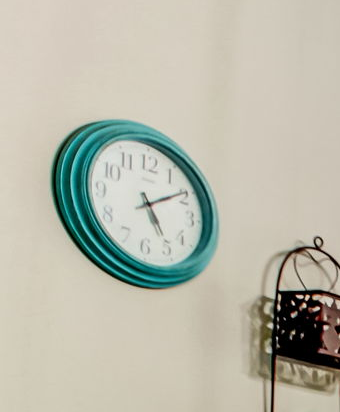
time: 5:09
